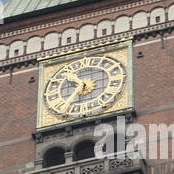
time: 10:32
